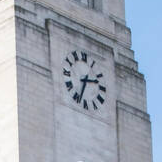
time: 2:33
